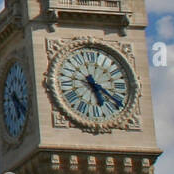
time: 5:20
